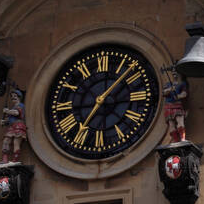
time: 7:07
